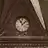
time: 11:07
